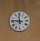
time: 11:46
